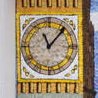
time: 11:07
